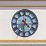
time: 4:31
